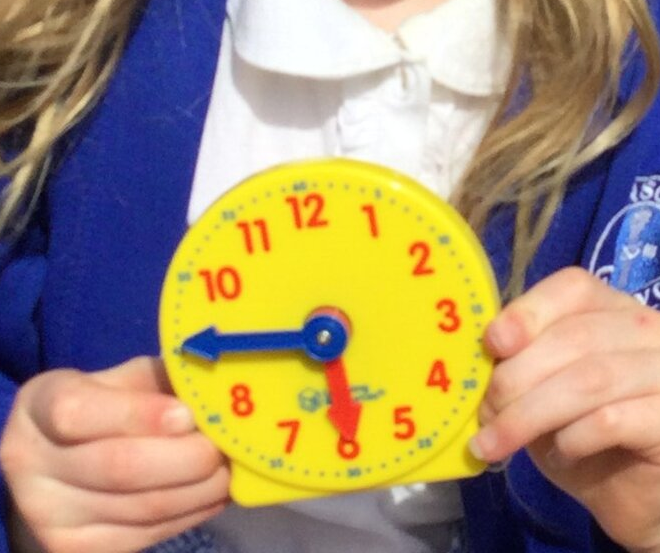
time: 5:45
